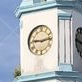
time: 9:13
